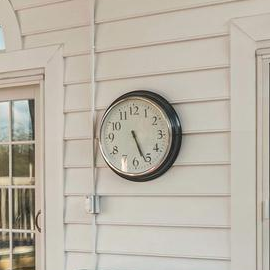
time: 5:26
